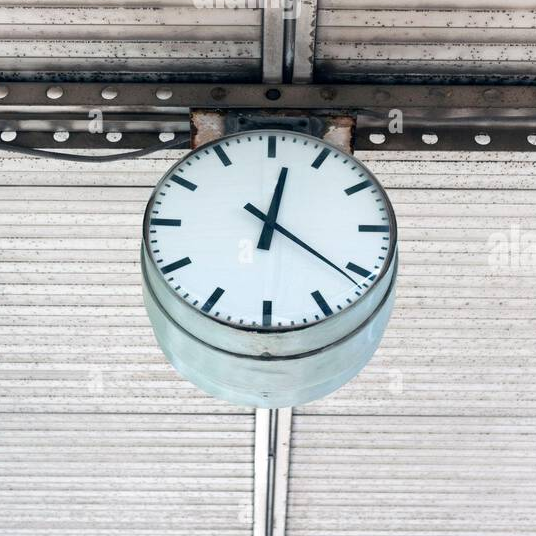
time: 12:21
